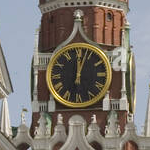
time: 12:03
